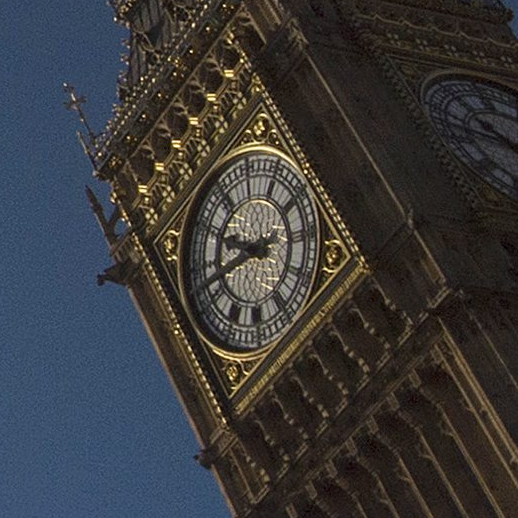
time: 9:42
